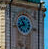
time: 10:42
